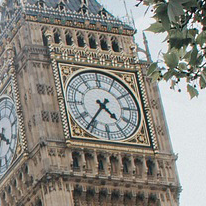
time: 4:36
